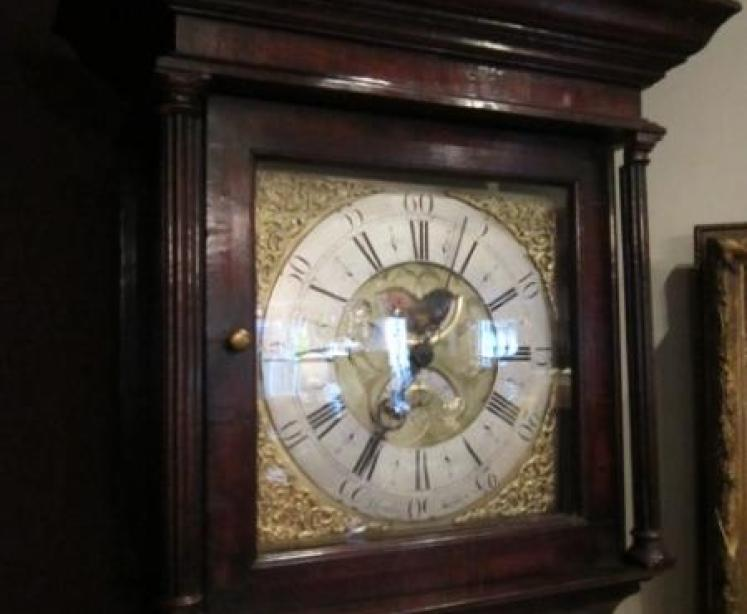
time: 12:34
